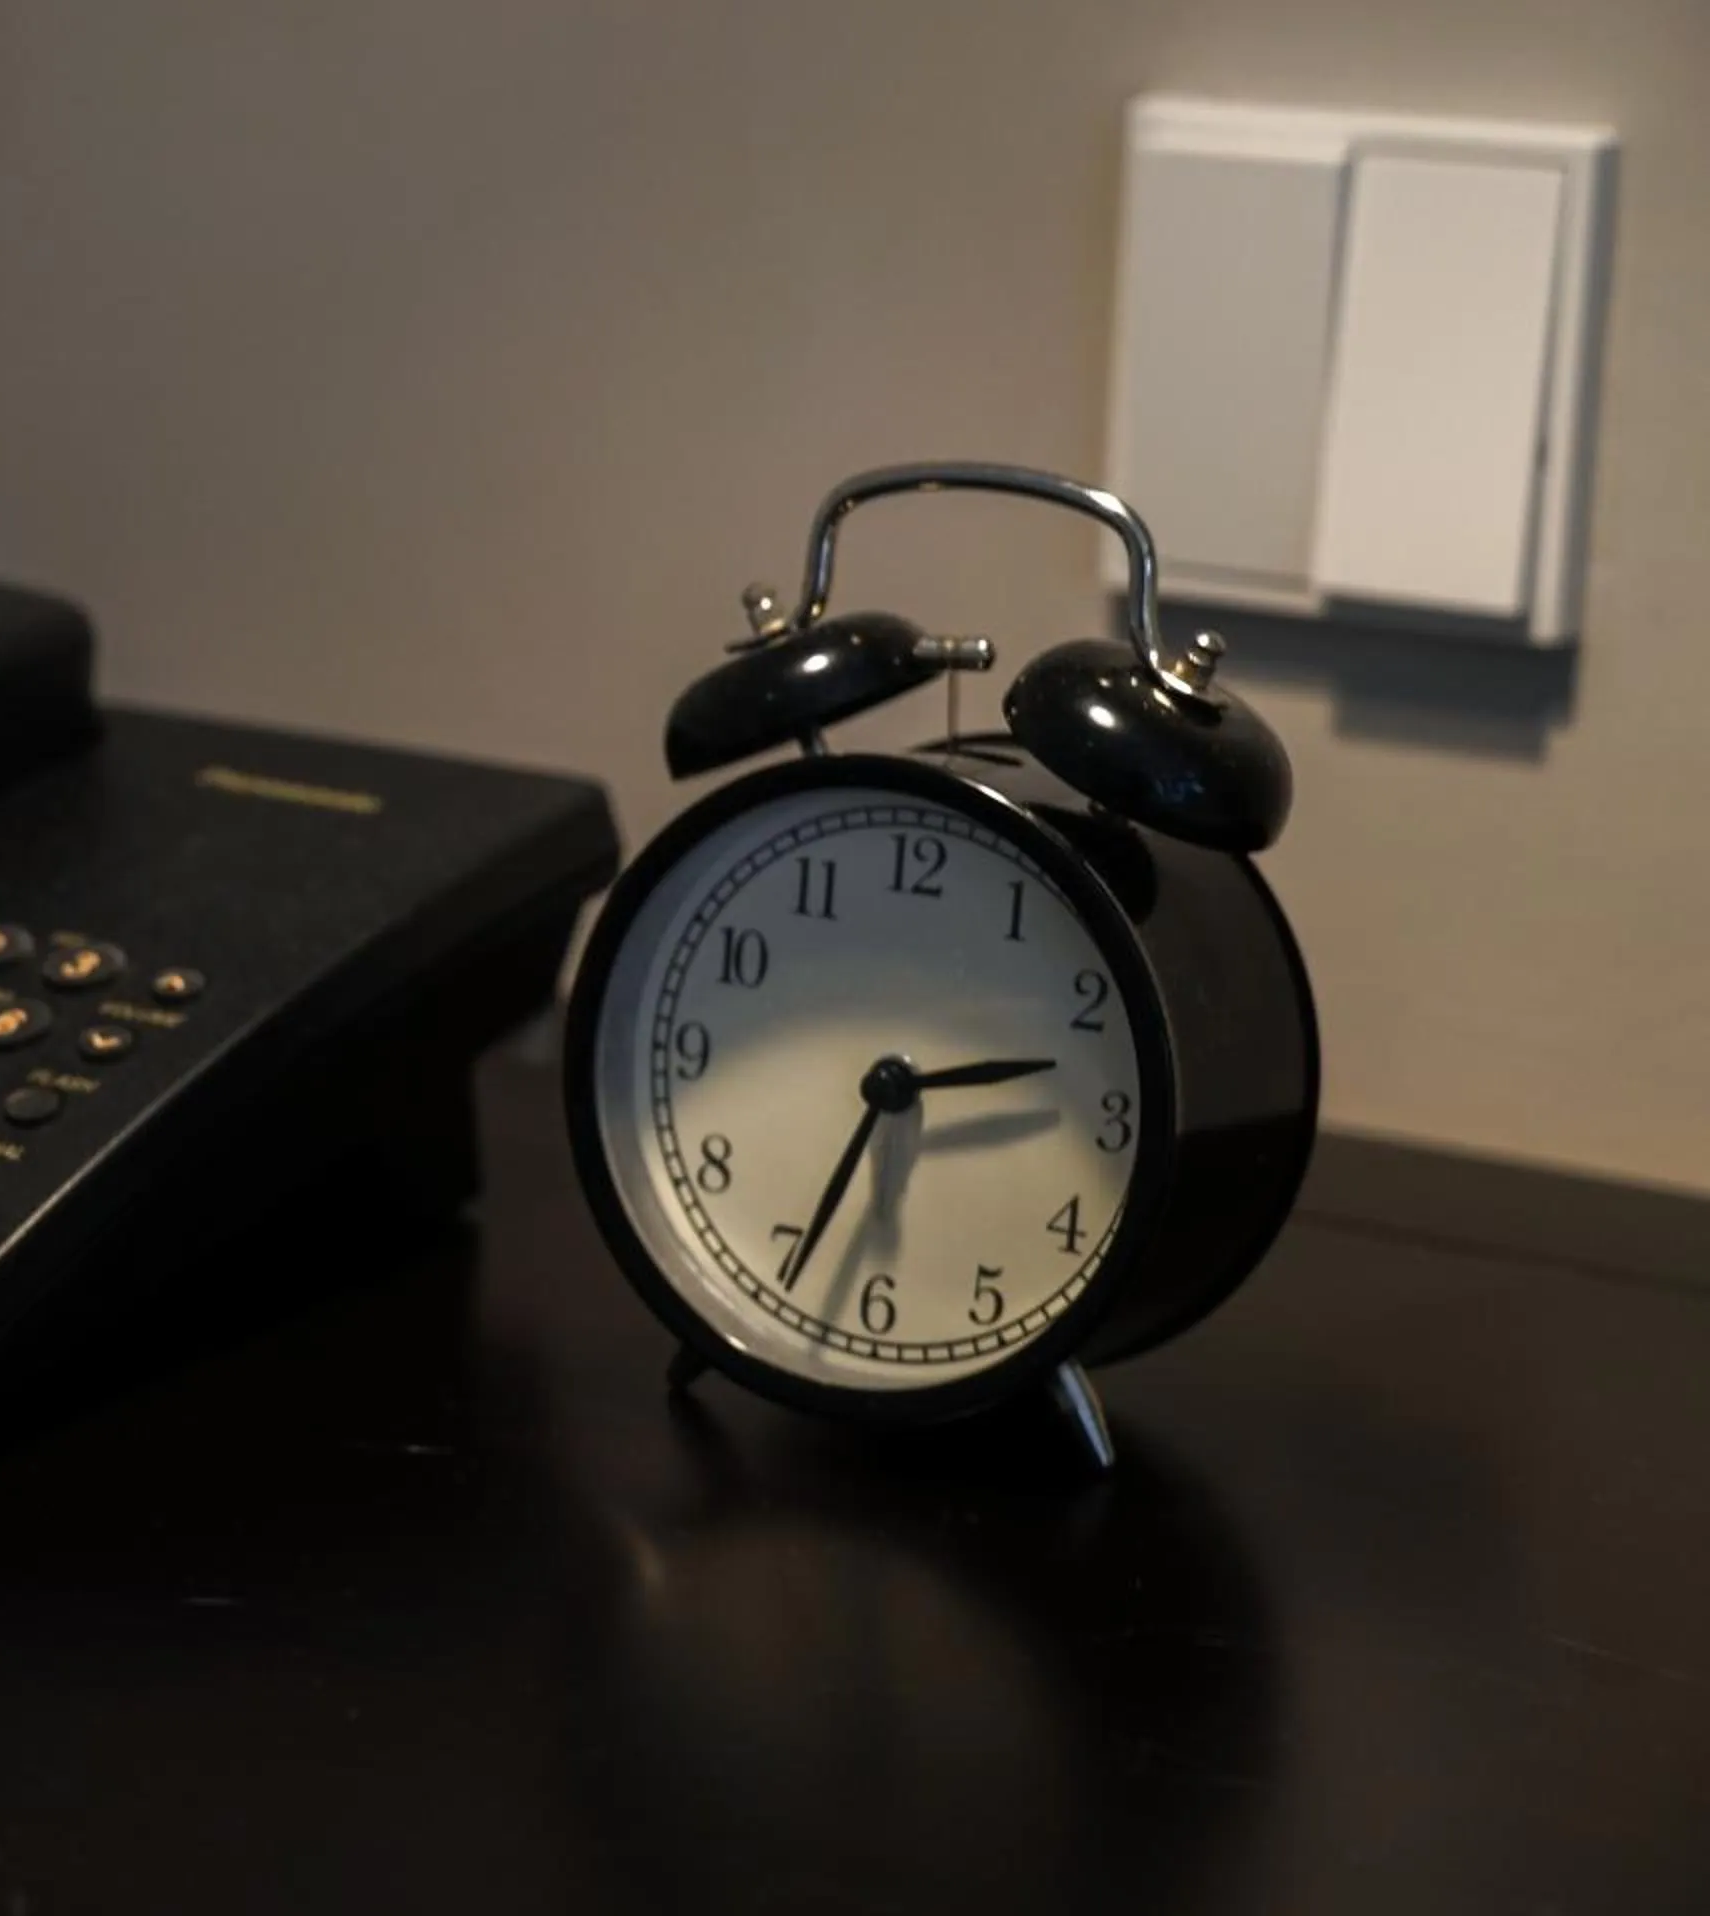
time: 2:33
